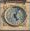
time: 5:03
